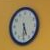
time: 5:30
